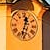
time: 12:32
